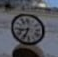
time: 8:34
